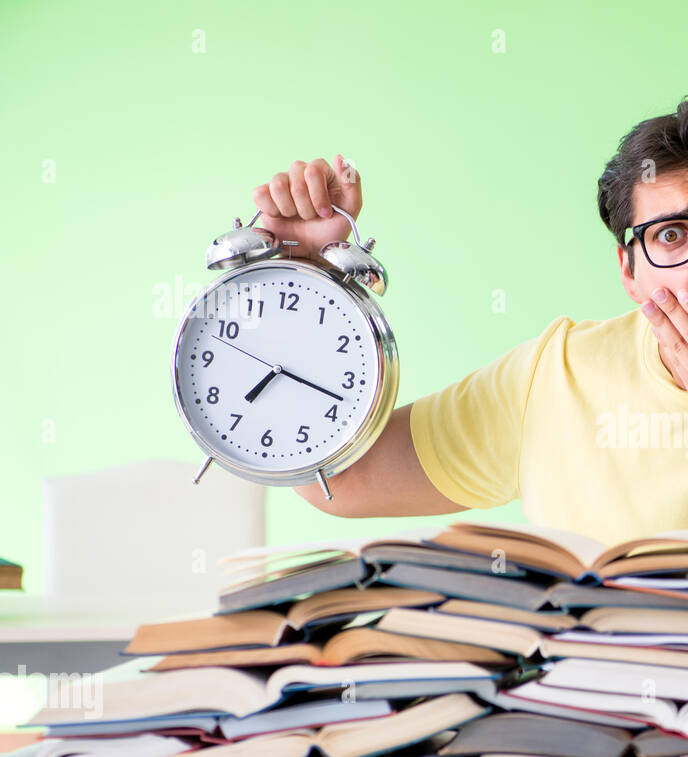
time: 7:17
